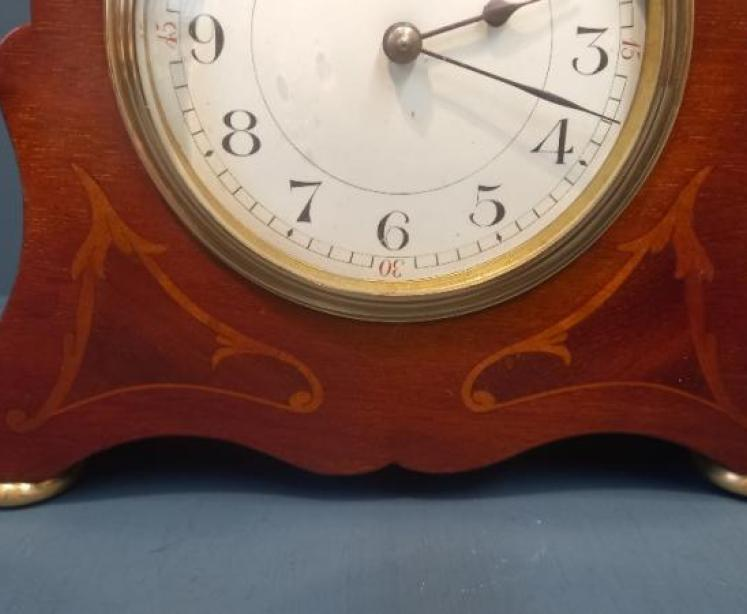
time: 2:18
